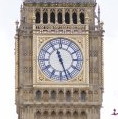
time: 11:26
